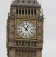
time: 12:52
